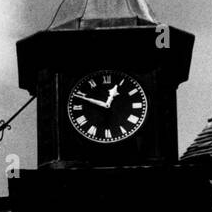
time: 12:48
